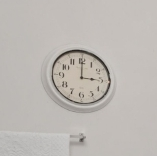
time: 3:00
